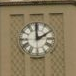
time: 1:59
